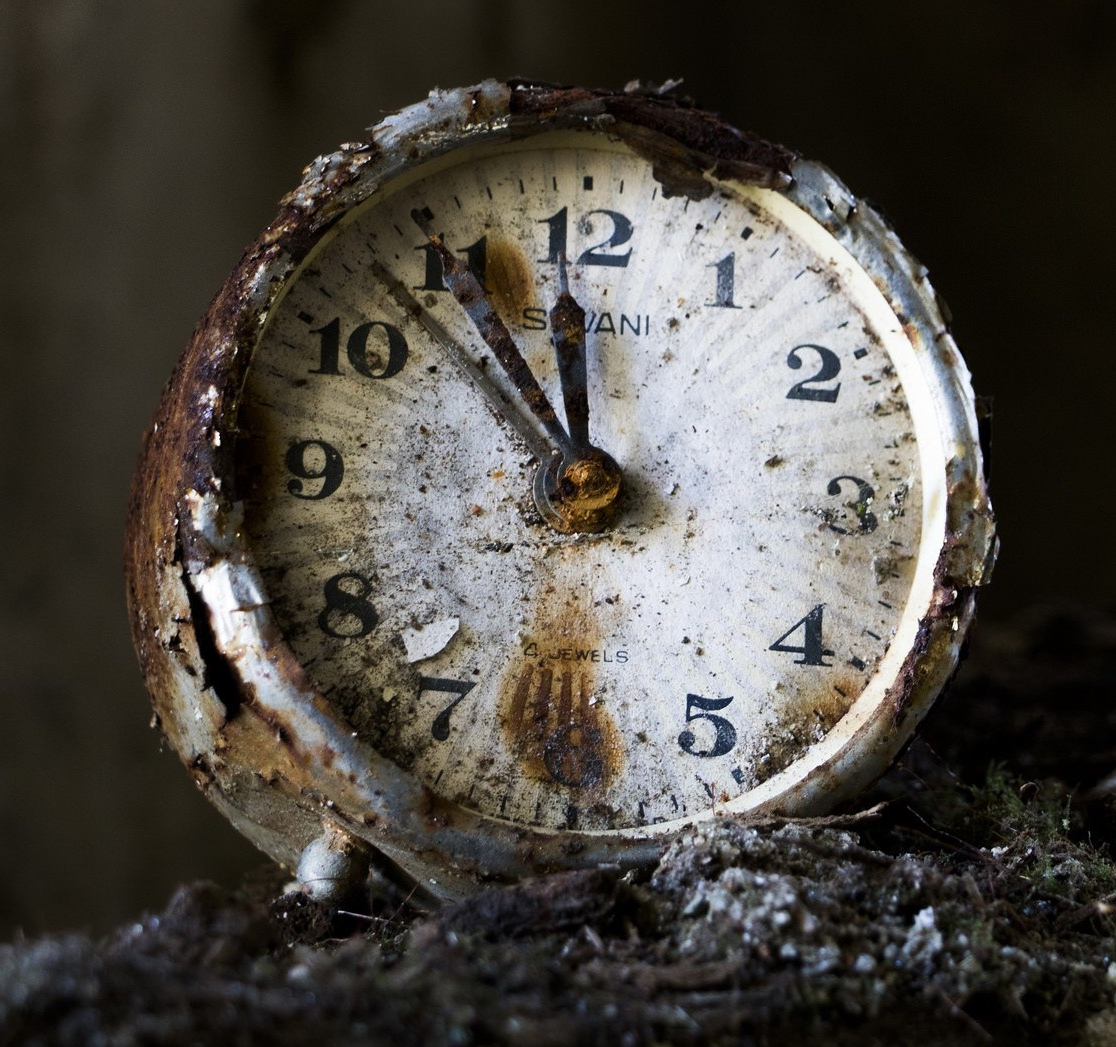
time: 11:53
